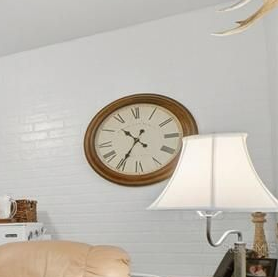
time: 10:35
